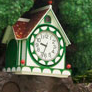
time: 9:33
